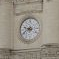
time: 9:40
